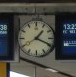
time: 1:18
